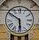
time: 5:51
